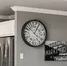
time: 4:04
